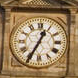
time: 12:34
